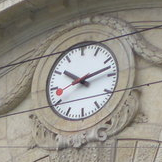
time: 10:12
